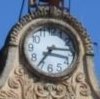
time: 7:15
